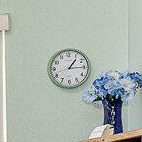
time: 1:14
